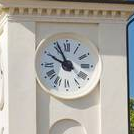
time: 9:55
